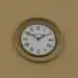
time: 1:50
